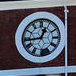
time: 12:43
